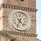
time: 4:33
